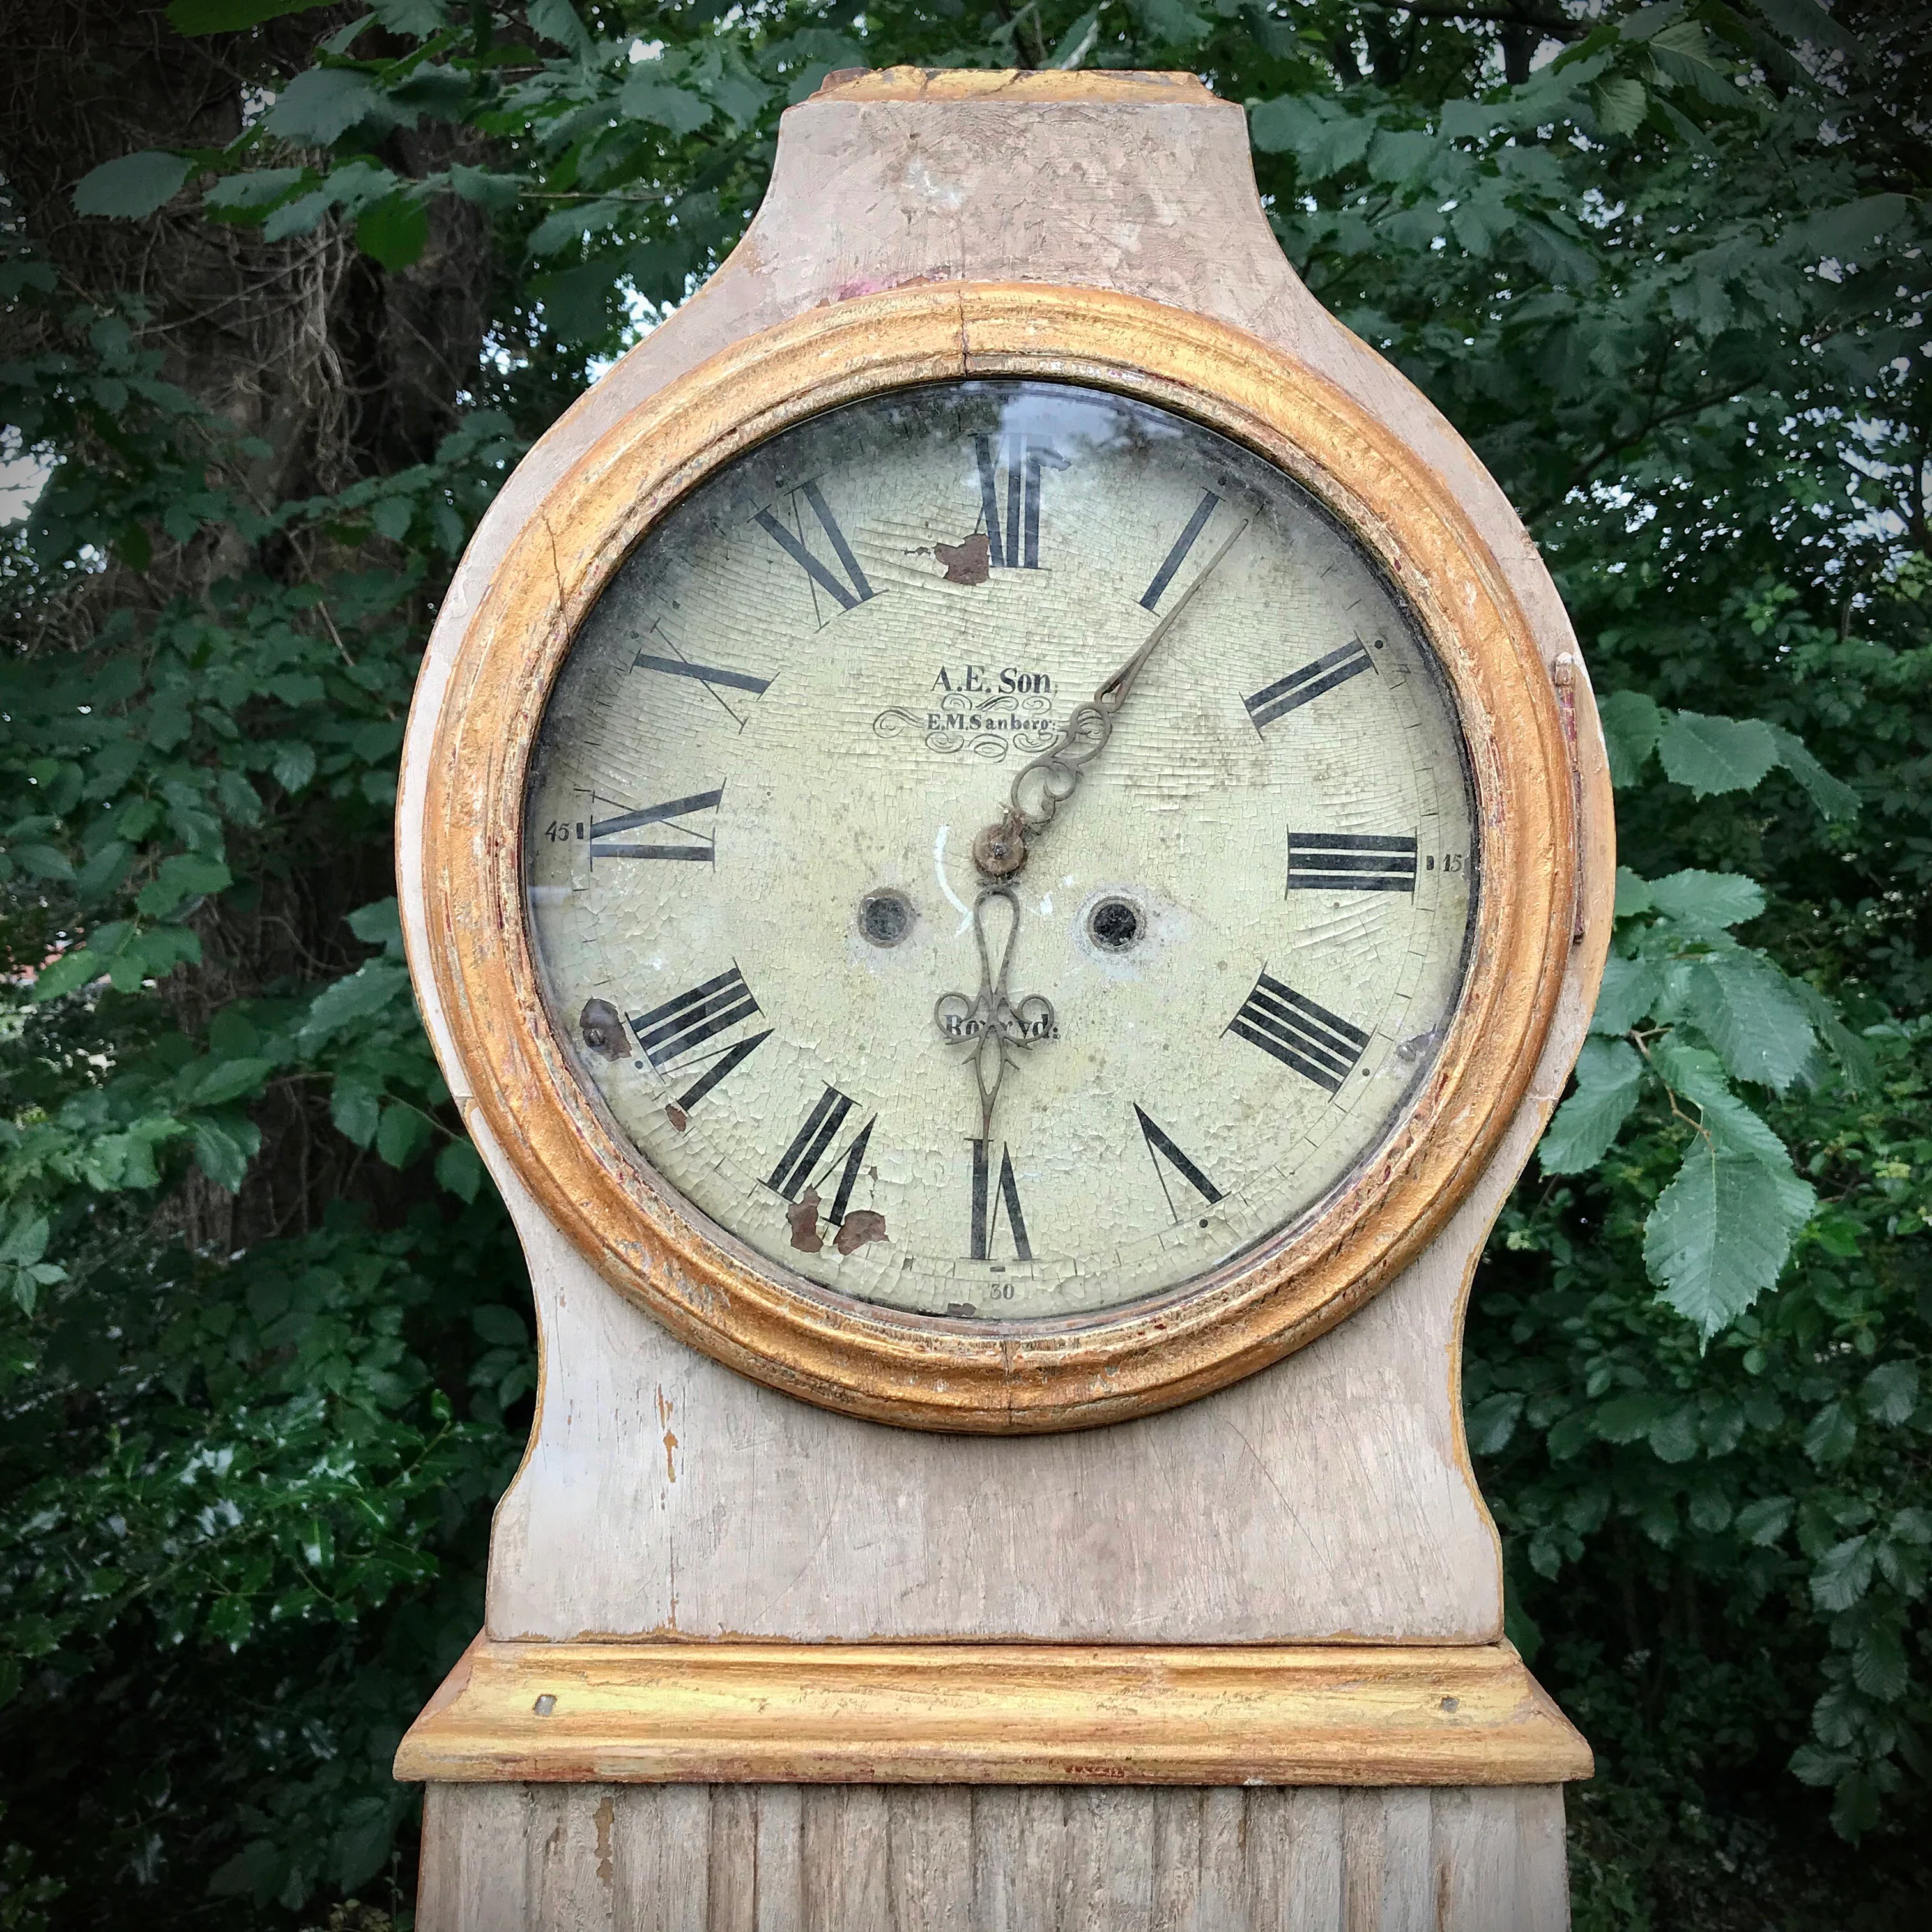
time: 6:05
